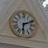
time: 6:11
